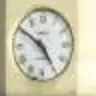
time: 4:50
